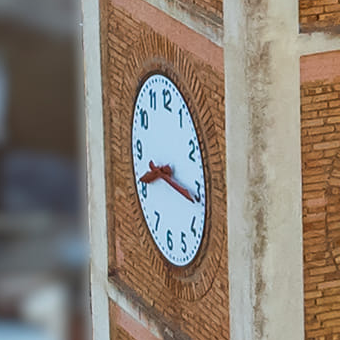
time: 8:16
